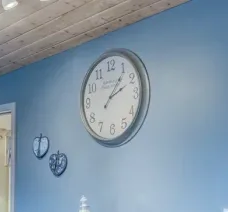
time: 2:06
